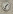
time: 1:32
